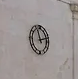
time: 11:12
